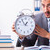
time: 12:53
